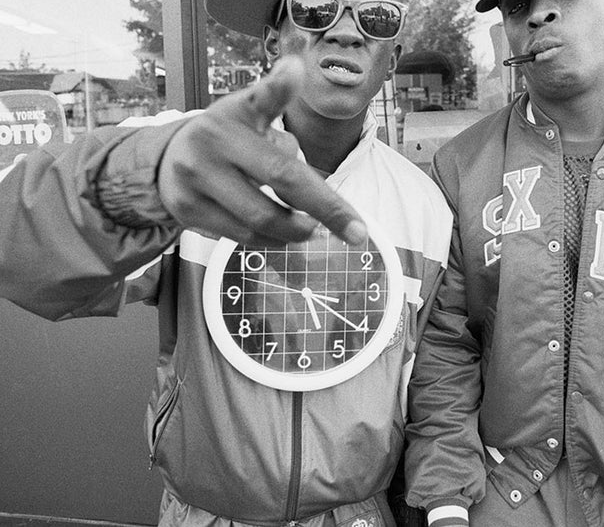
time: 5:20
